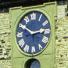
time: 2:50
